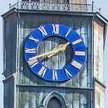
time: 1:39
